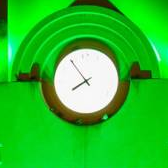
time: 7:53
